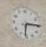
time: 6:14
